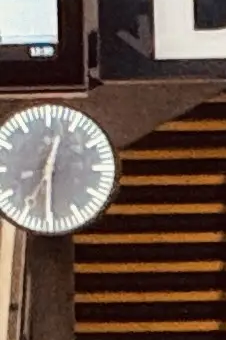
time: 12:30
